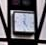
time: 5:01
